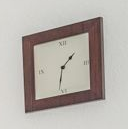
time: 1:32
